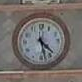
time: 4:27
